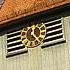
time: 12:23
